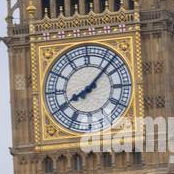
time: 8:07
